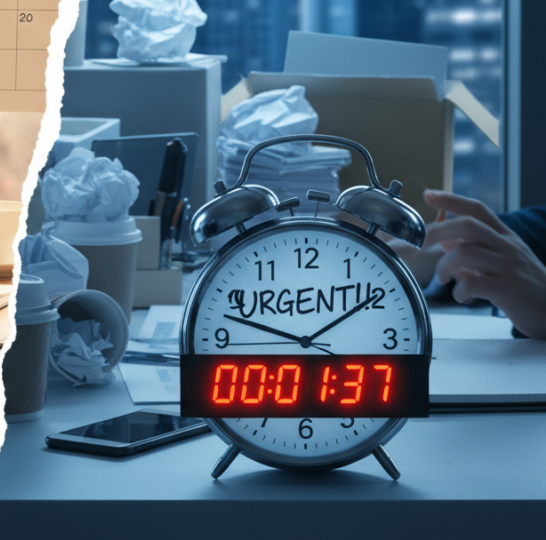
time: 1:47
